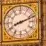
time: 8:11
